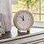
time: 11:52
